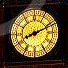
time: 8:11
